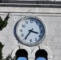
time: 3:35
